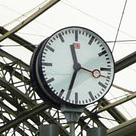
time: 11:33
